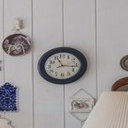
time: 11:16
